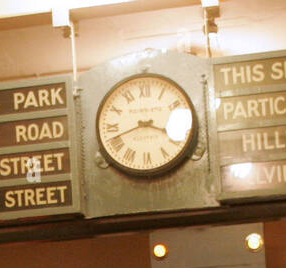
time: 3:41
